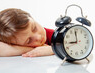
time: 8:59
